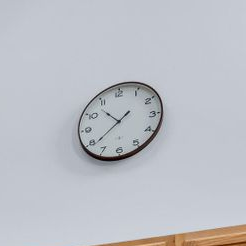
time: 10:38
